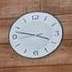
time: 3:47
